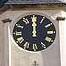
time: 11:59
